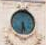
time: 5:31
